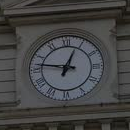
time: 12:46
